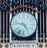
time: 4:46
